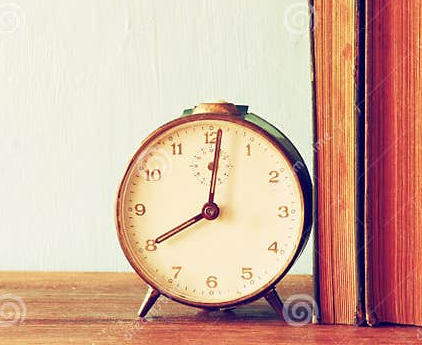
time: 8:01
